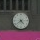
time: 4:38
